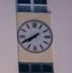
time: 7:40
